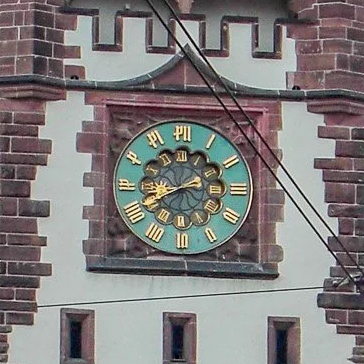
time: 8:40
